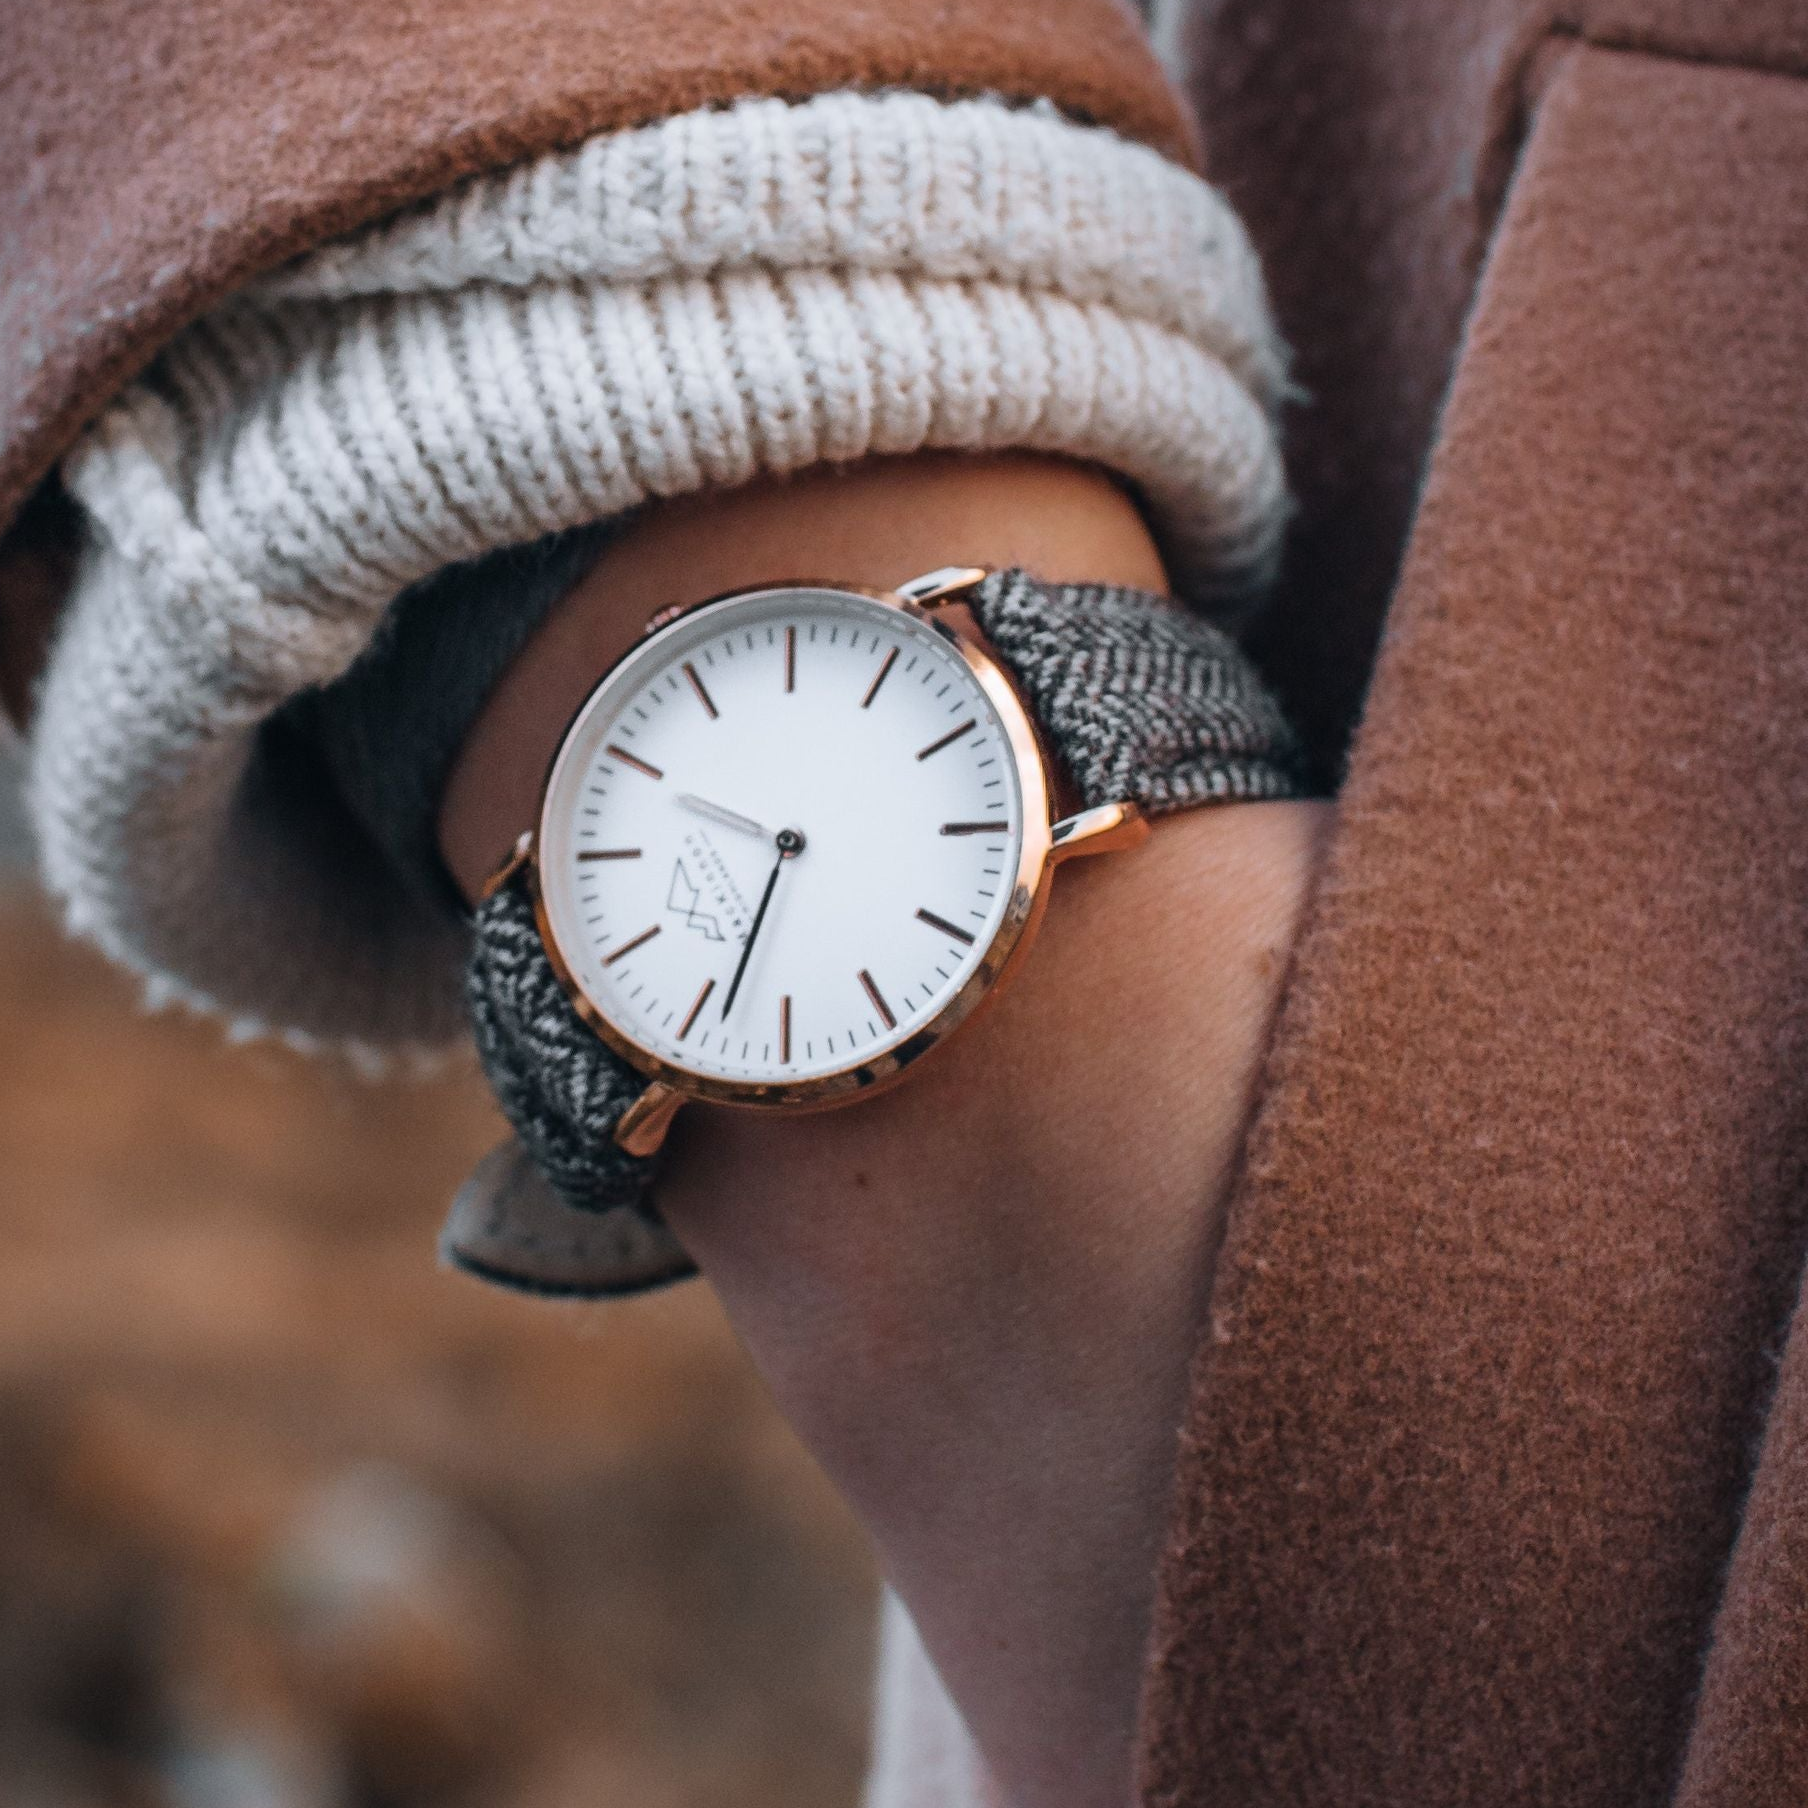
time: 9:33
